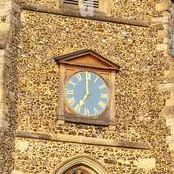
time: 7:00
